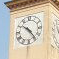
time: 10:23
